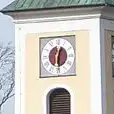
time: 12:29
